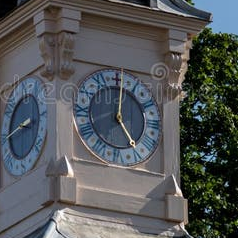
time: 5:01
